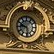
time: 9:28
